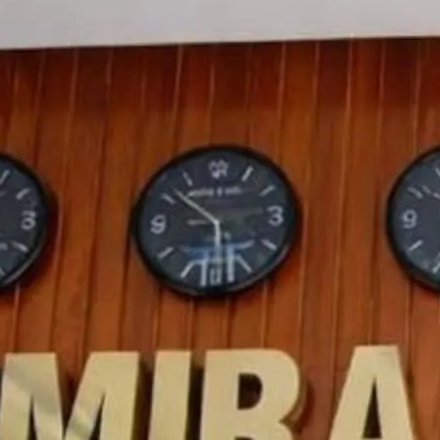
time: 5:51
